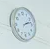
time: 2:12
